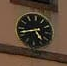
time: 4:42
